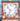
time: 10:34
